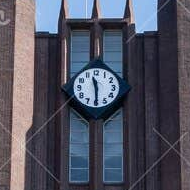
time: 11:29
